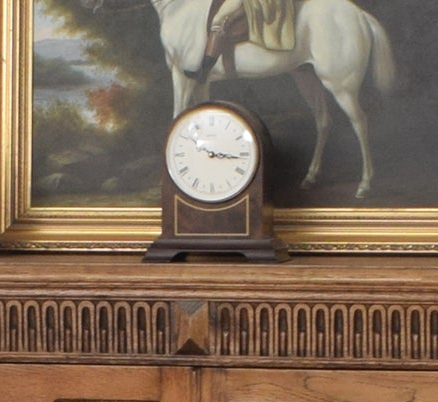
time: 10:16
